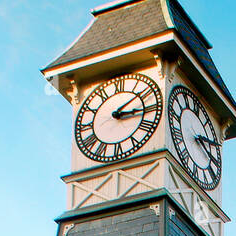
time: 3:08
